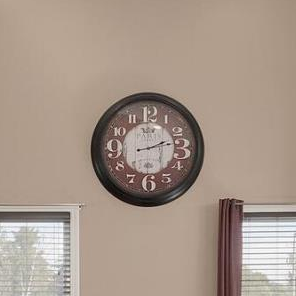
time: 2:12
